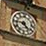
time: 4:45
